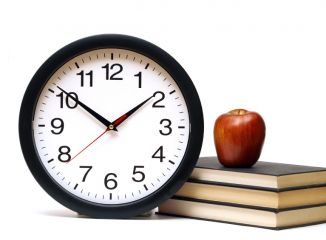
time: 1:50
